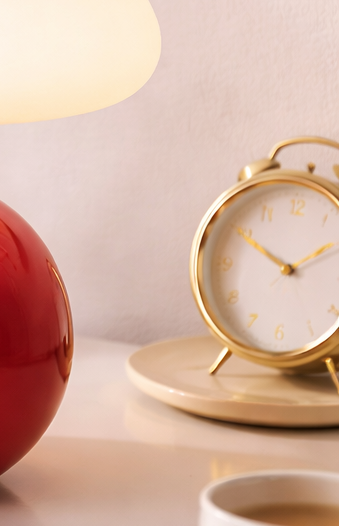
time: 1:50
